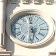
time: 5:59
